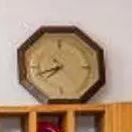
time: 7:40
